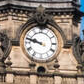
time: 9:47
